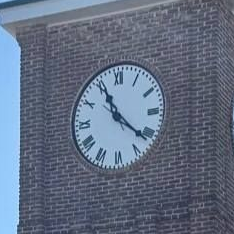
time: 11:21
